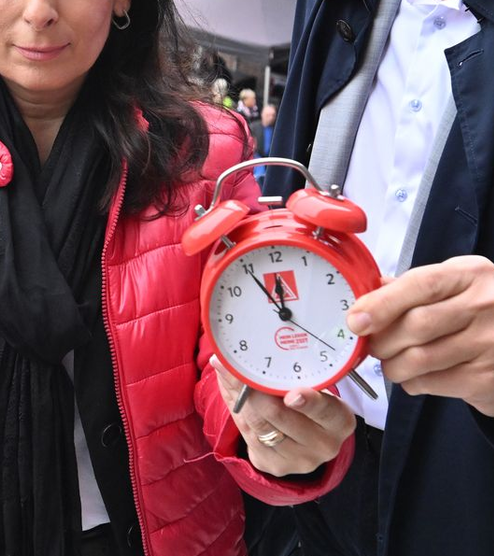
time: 11:54
